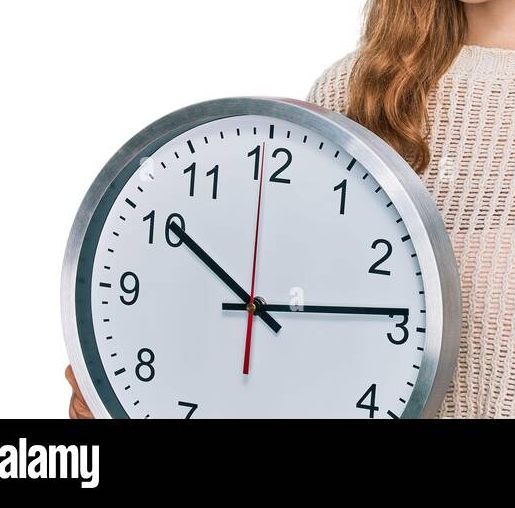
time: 10:13
